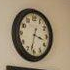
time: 3:32
